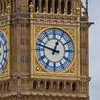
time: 12:47
